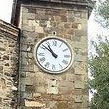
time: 10:51
